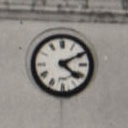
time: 4:10
